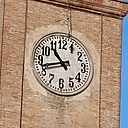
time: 10:42
